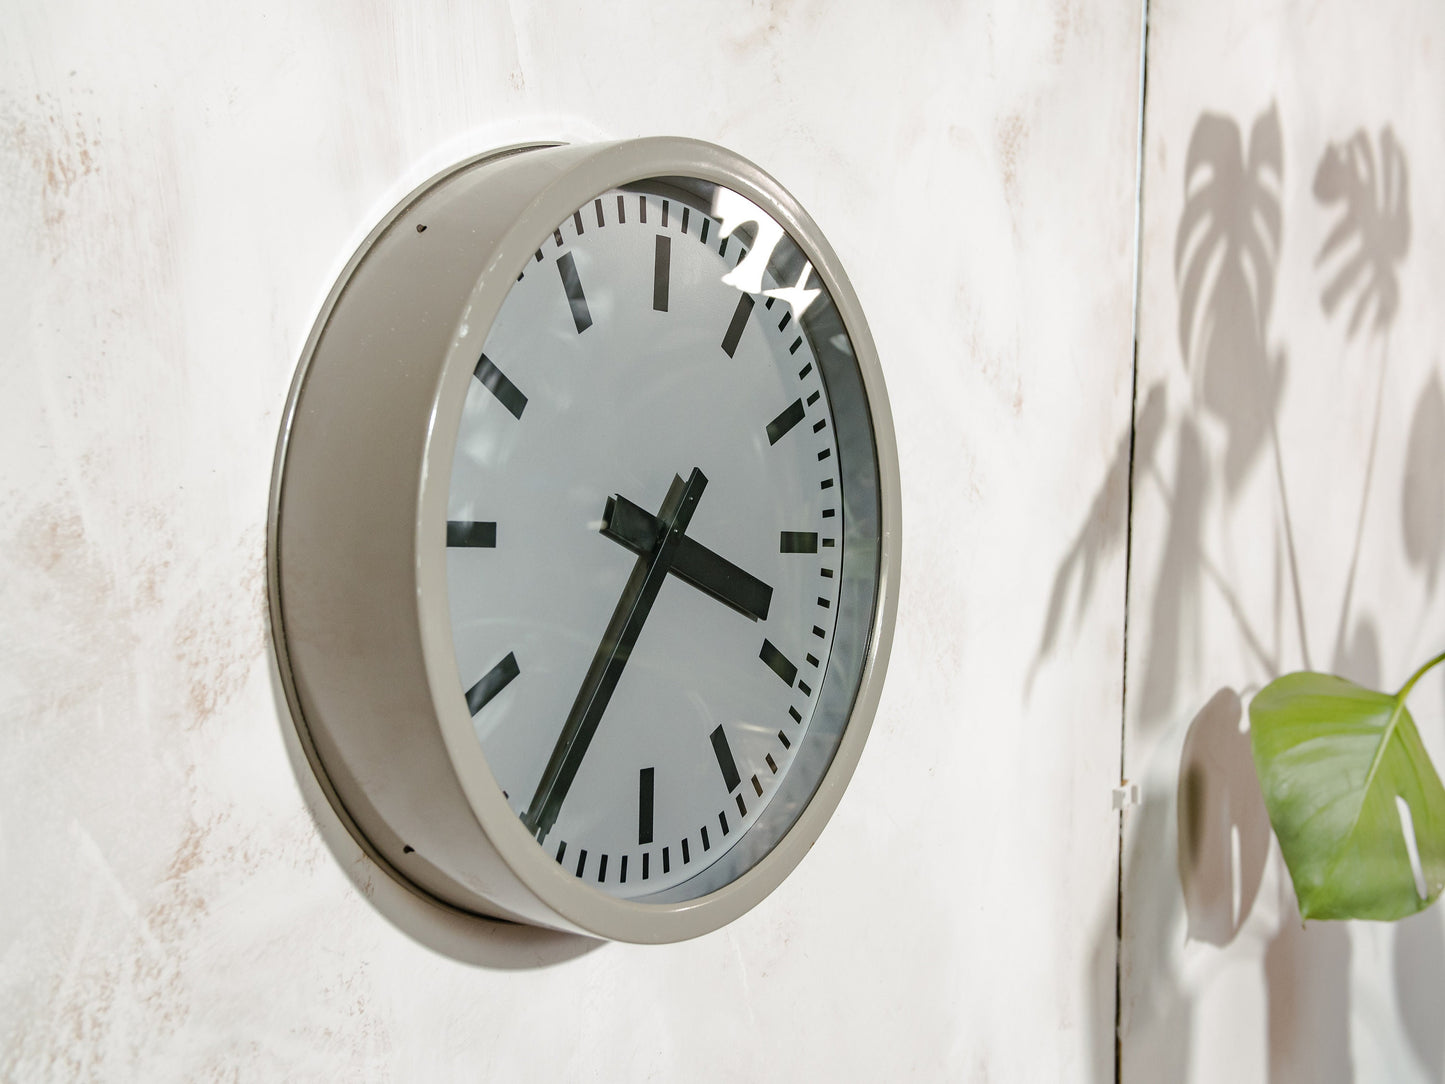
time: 3:35
